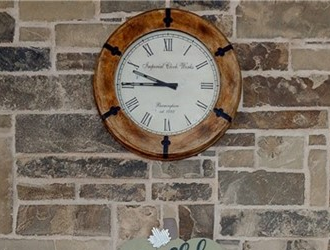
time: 9:45
